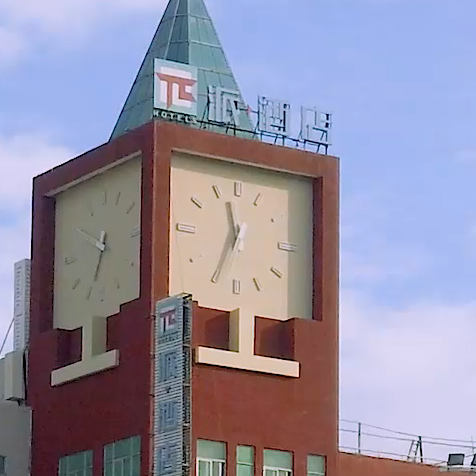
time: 11:34
